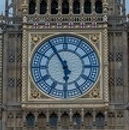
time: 5:54
